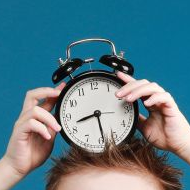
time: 8:28
